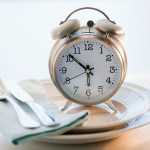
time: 5:51
